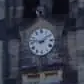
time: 1:46
